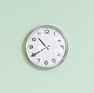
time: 10:39
